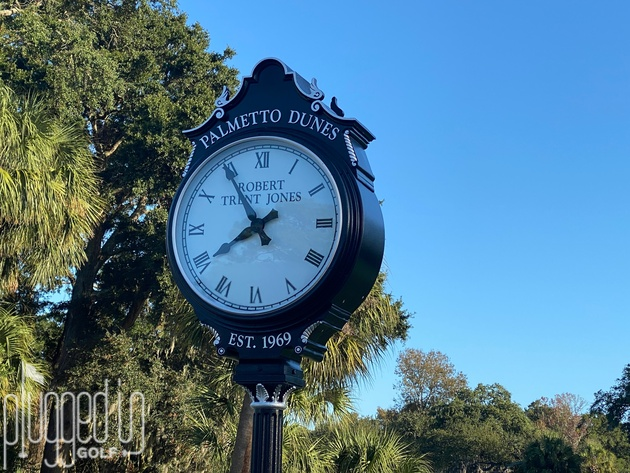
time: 7:54
